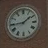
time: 1:44
